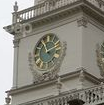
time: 11:11
